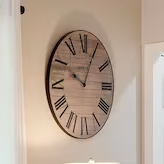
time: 10:04
